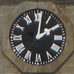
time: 2:01
